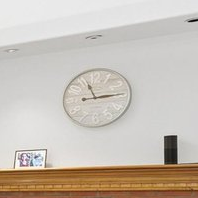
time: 11:14
